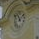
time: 11:07
